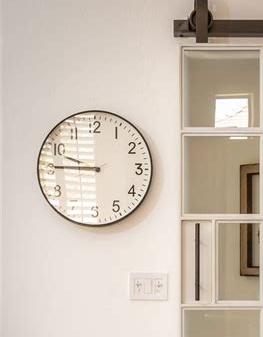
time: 9:45
